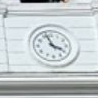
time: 3:57
